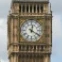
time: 12:20
